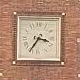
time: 3:36
